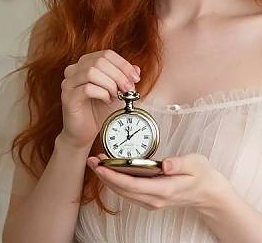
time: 12:08
